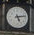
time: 5:13
